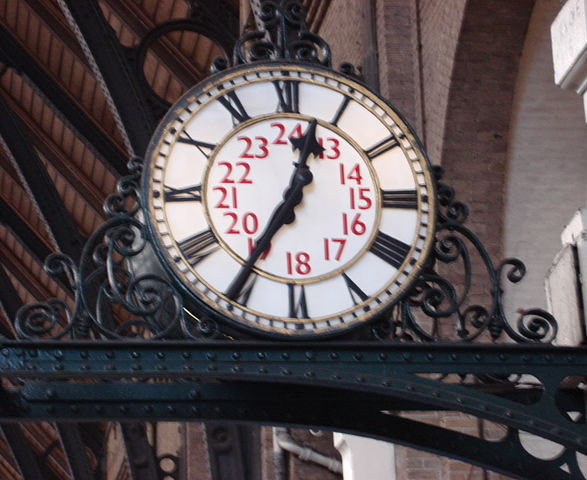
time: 12:35
